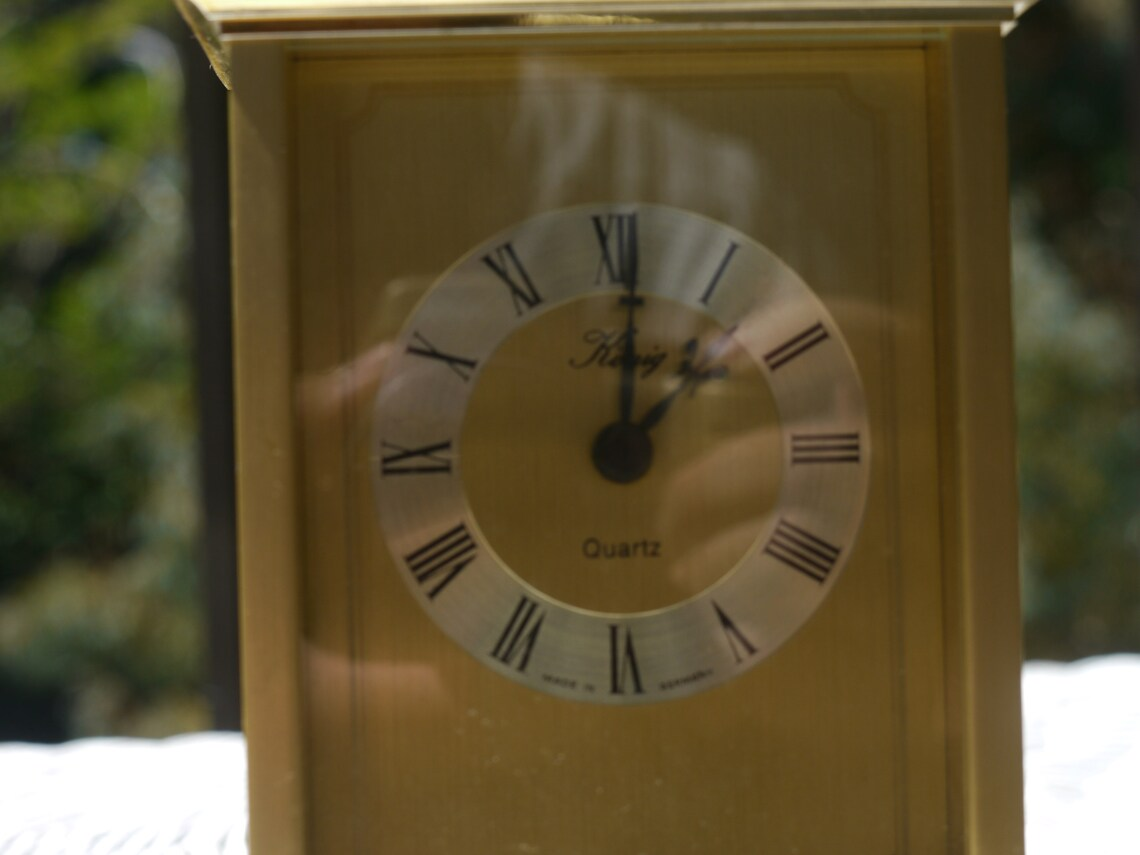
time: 1:01
